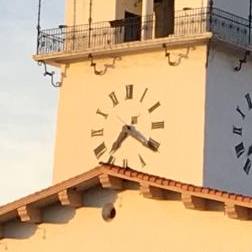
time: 7:20
